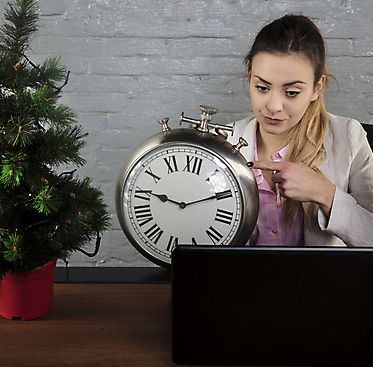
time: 9:10
